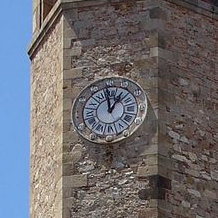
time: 12:58
